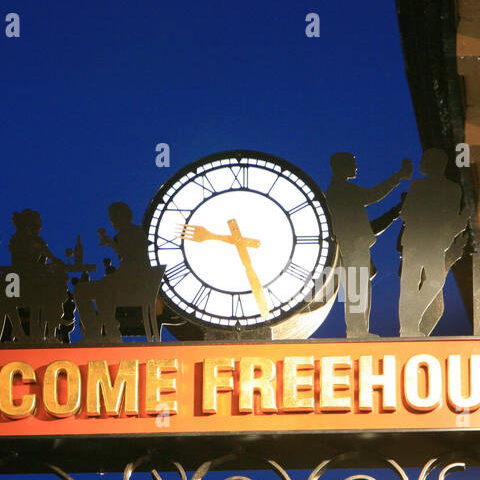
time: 9:26
